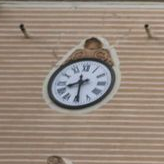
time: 8:29
